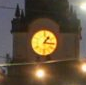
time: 1:16
